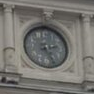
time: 2:25
